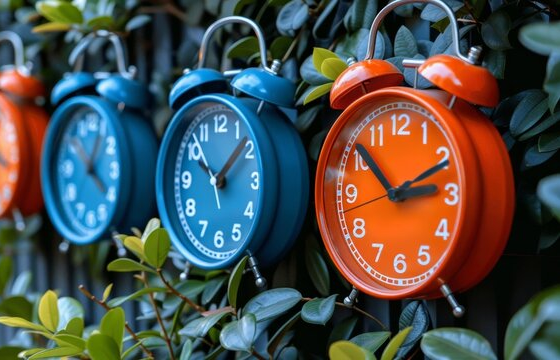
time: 2:52
